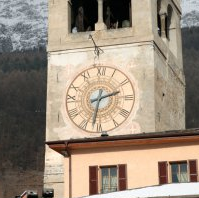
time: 2:32
